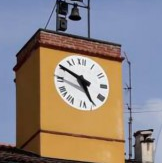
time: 4:50
